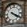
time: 4:19
